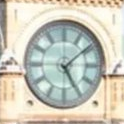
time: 5:08
